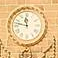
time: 11:47
